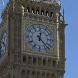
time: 12:22
